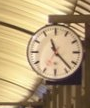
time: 11:22
